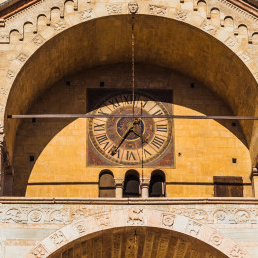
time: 4:35
